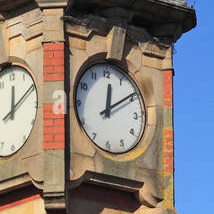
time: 12:09
